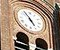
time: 4:54
